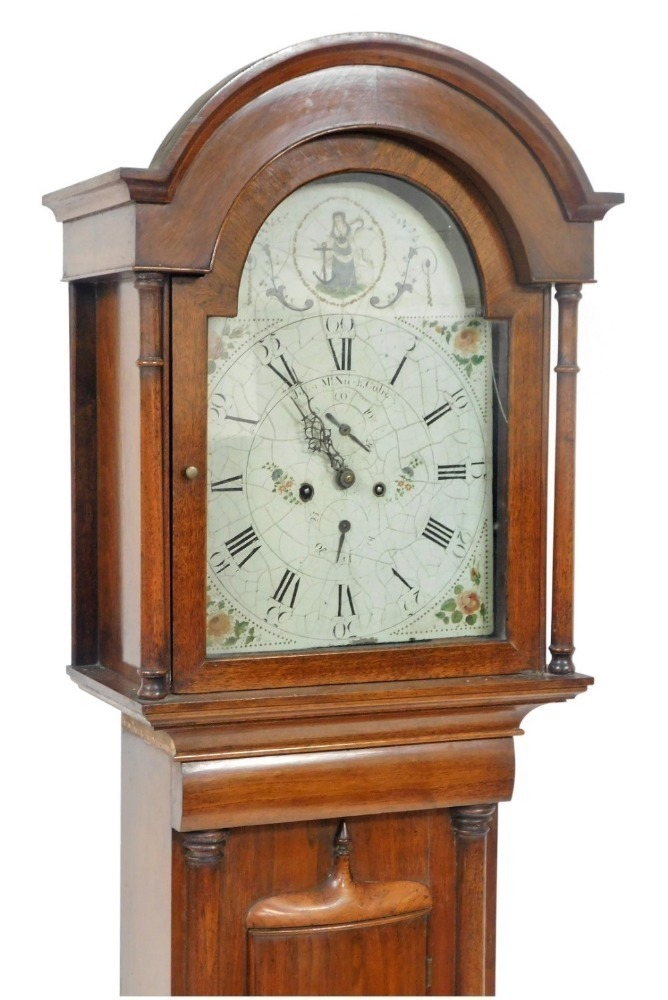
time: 8:52
